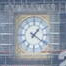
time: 1:20
